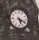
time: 5:18
